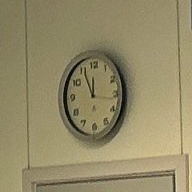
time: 11:55
